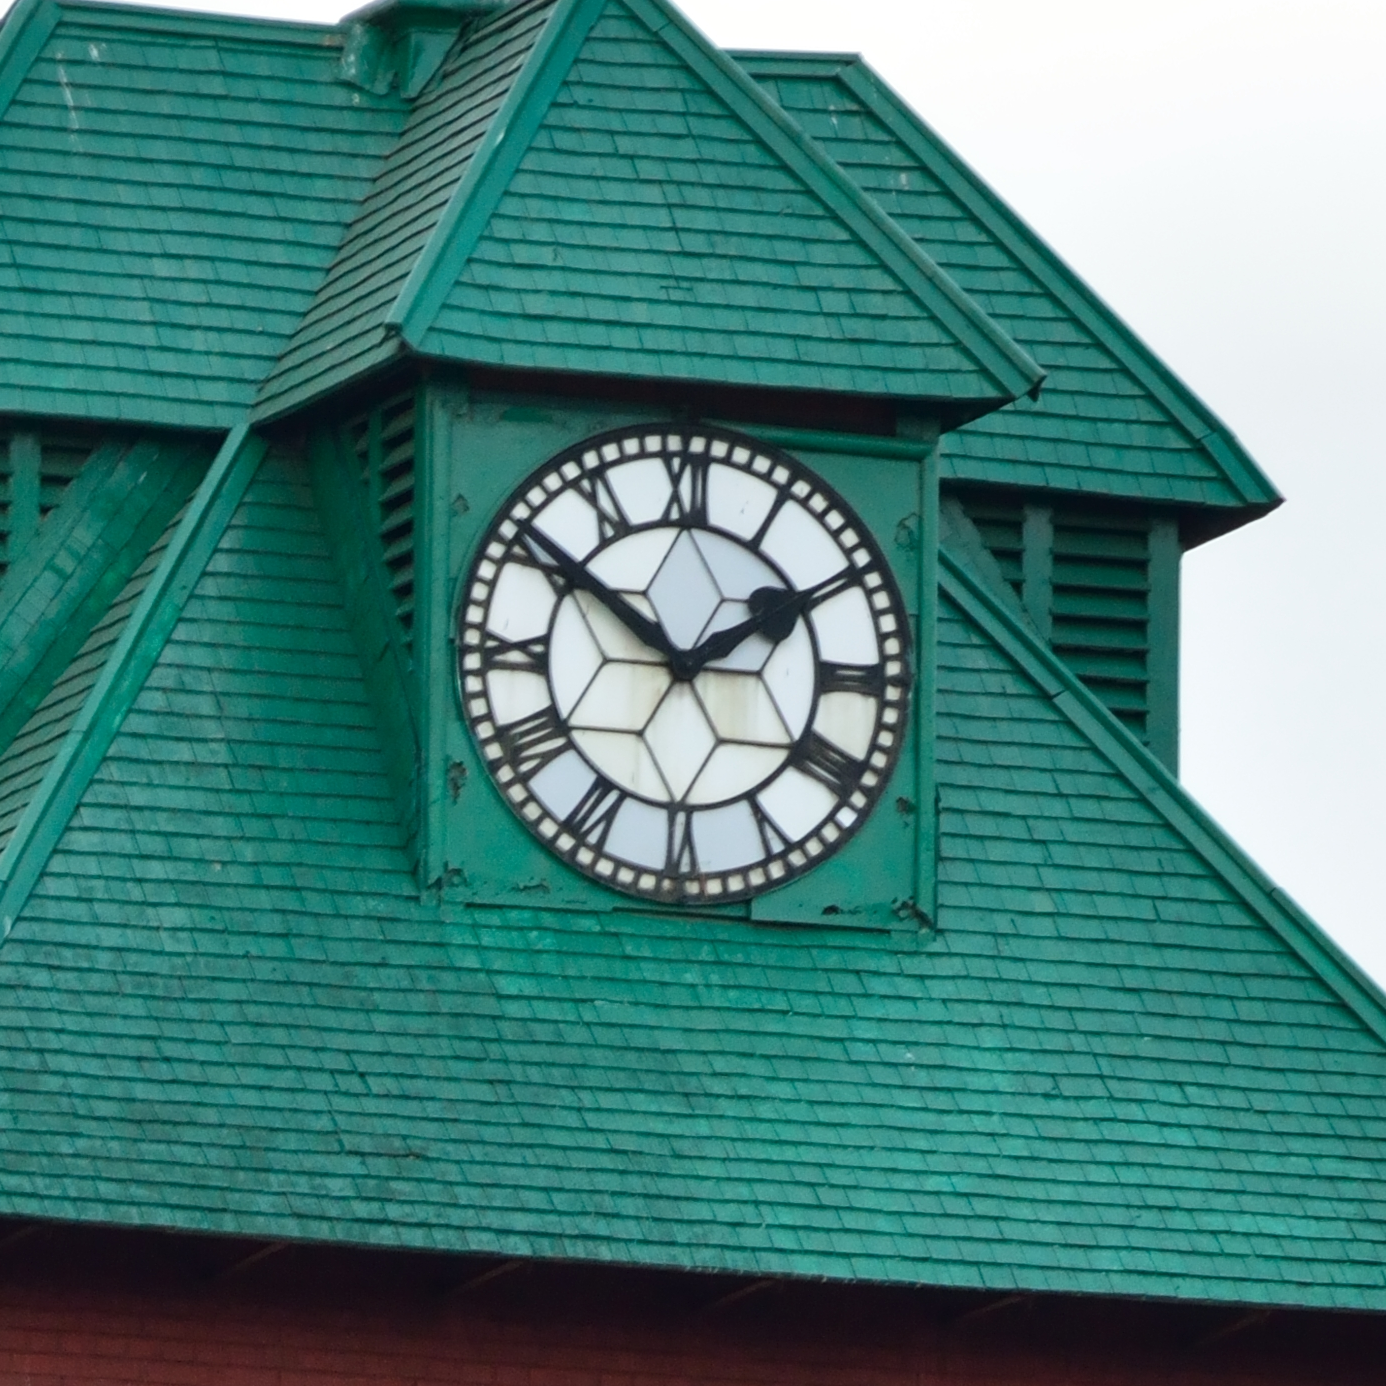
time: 1:50
